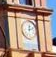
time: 12:11
